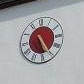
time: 5:24
